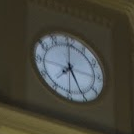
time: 7:25
